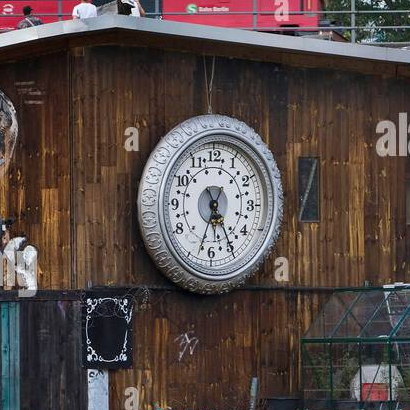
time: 6:25
